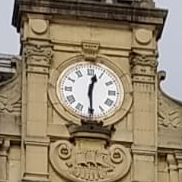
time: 12:29
